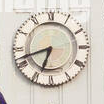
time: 6:42
